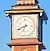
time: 6:40
